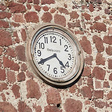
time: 4:40
